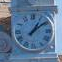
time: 1:08
